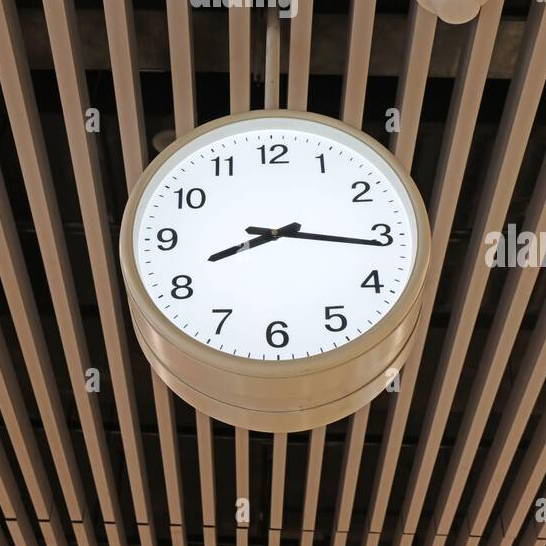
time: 8:16
